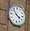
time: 3:52
